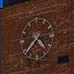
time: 4:37
